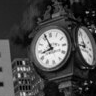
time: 8:56
